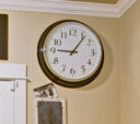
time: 9:06
